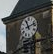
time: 11:12
